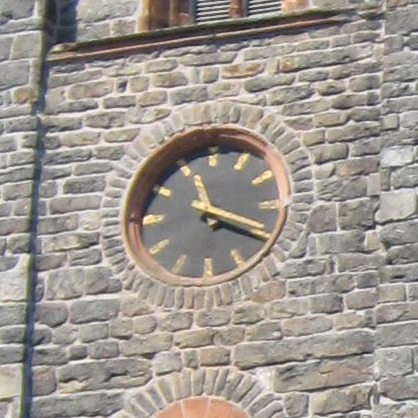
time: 11:19
